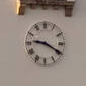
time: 9:19
